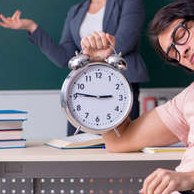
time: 2:46
